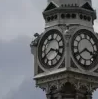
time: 3:40
